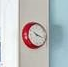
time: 10:17
